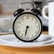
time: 6:32
